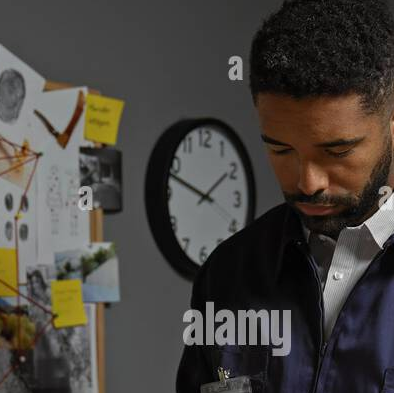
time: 1:48
